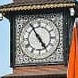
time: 4:54
